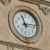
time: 11:13
